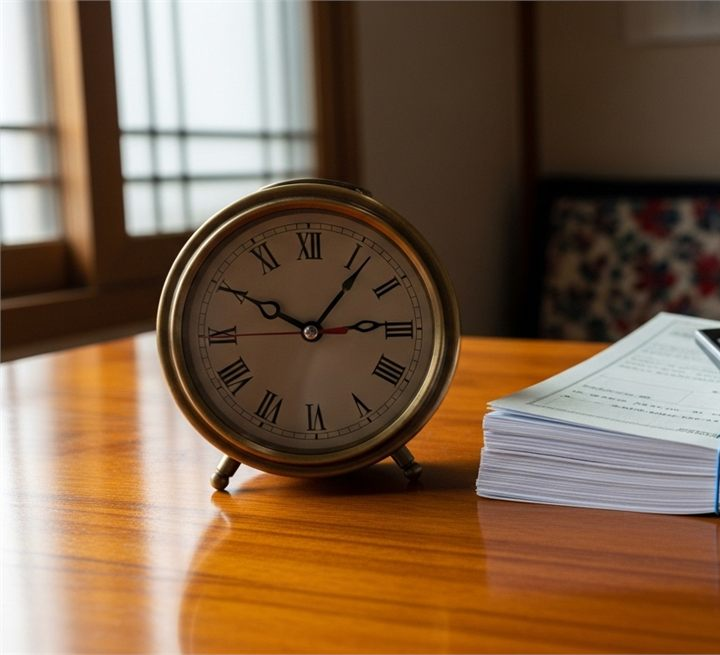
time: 10:06
